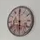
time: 5:59
